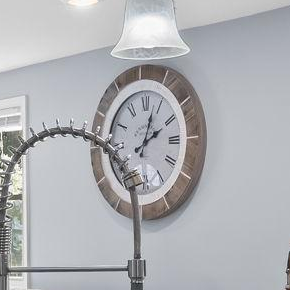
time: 2:02
